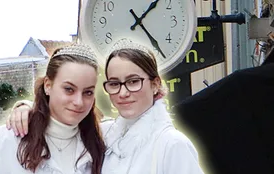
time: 1:23
